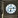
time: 6:13
